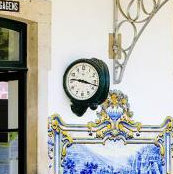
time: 9:17
